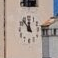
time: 11:53
